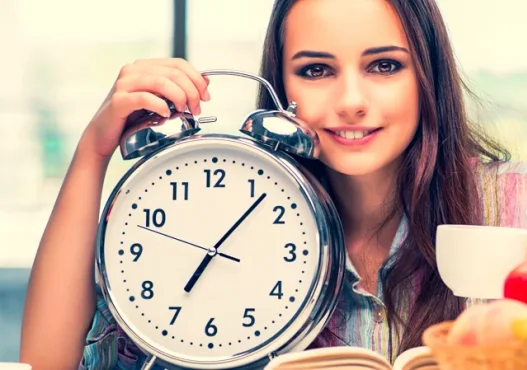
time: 7:07
